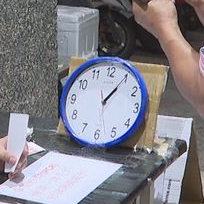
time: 1:05
